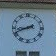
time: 8:41
